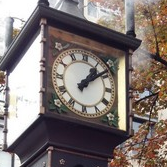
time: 1:08
